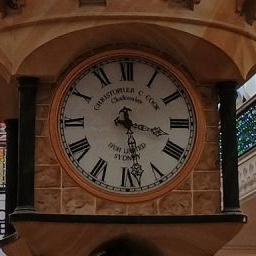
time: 3:28
